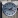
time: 1:46
